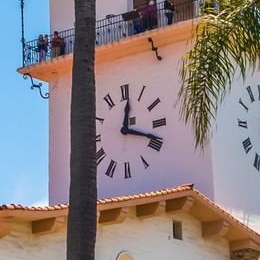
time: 12:18
